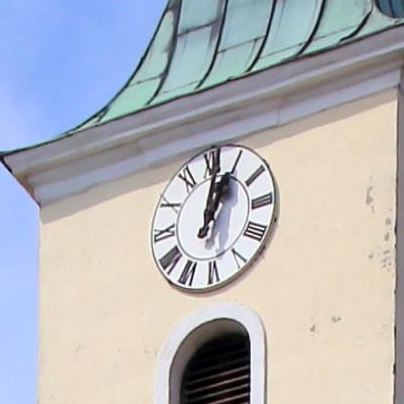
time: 1:01
